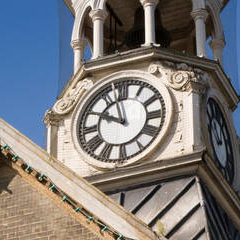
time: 9:57
